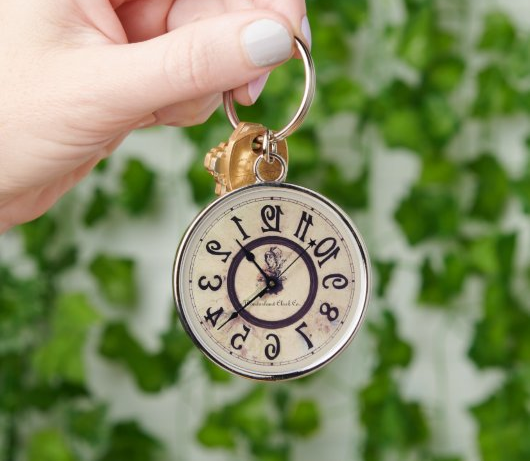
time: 10:38
